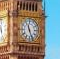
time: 11:26
